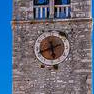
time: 5:41
